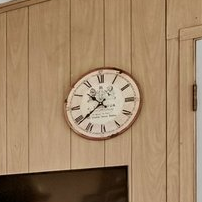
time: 10:38
